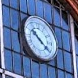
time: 10:21
